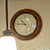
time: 10:45
